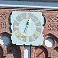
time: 12:33
